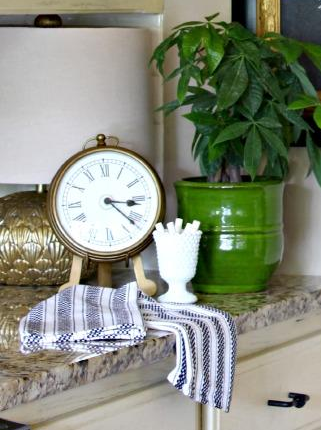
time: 3:22
